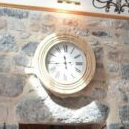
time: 11:43
